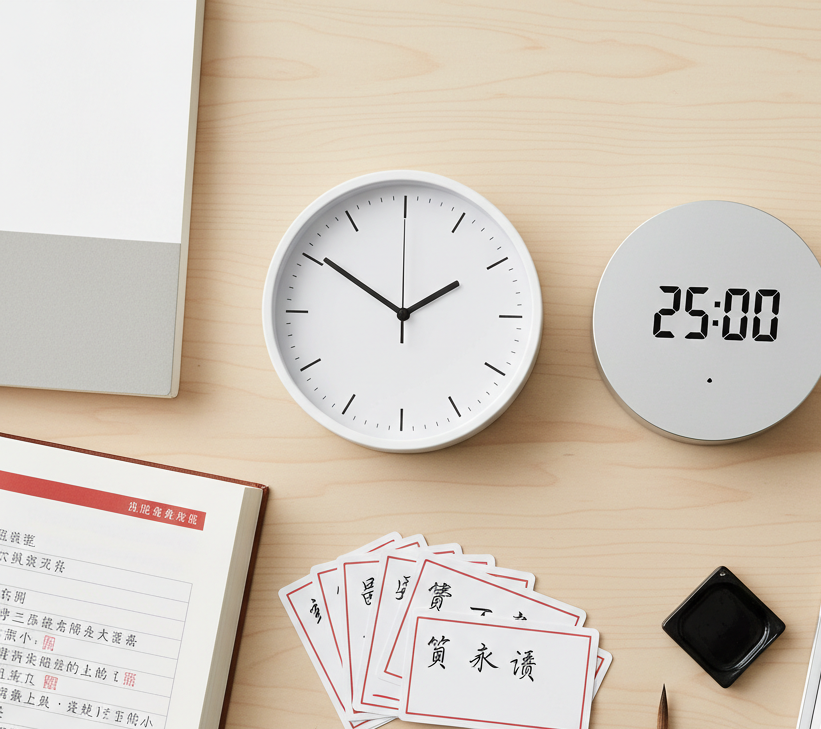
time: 1:50
